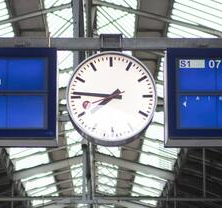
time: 7:45
